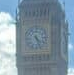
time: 4:26
